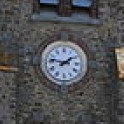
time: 1:46
